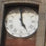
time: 4:59
